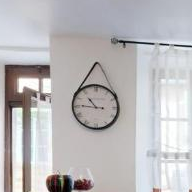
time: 10:45
